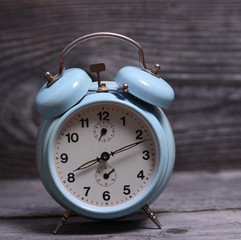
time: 8:11
